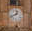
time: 12:40
